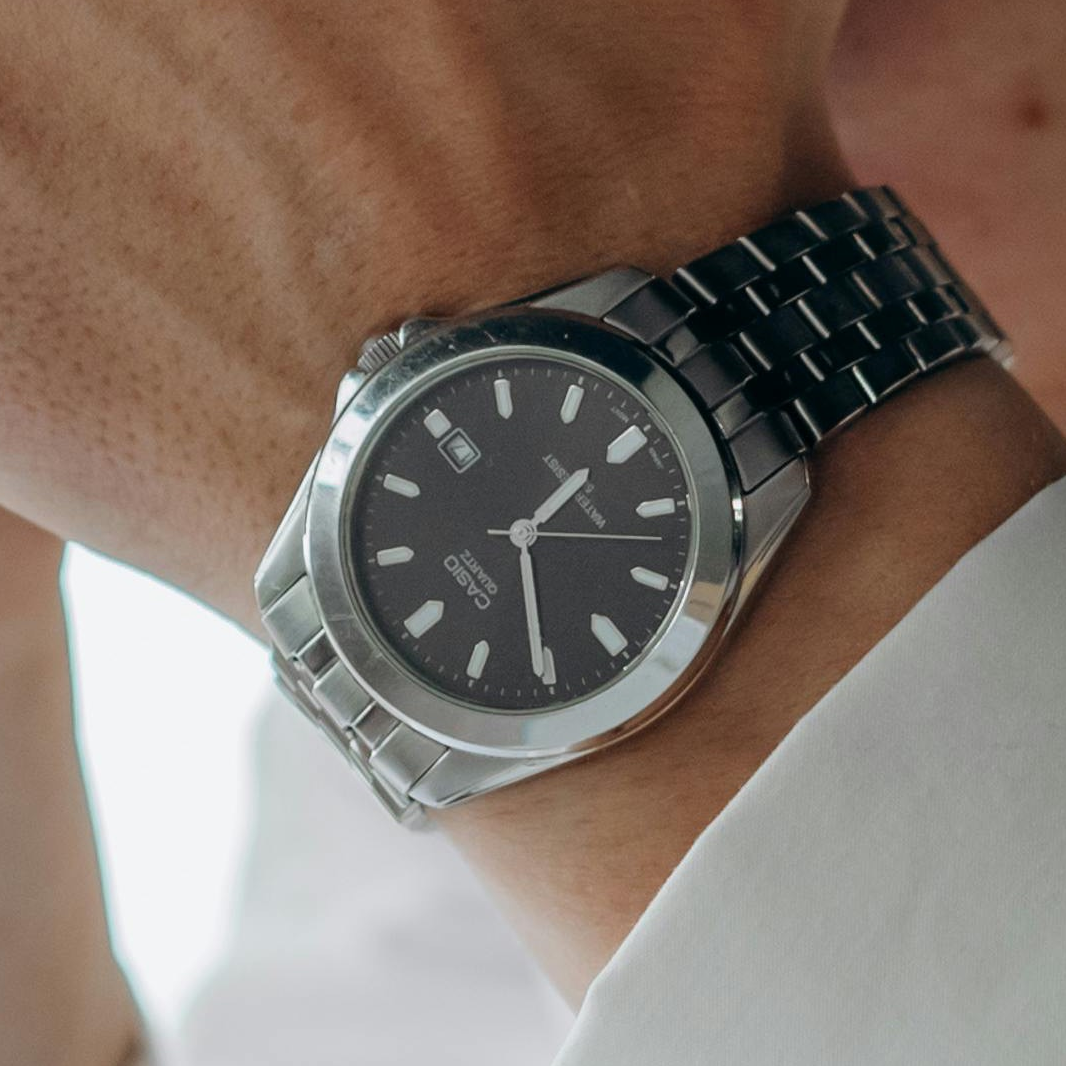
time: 1:30
